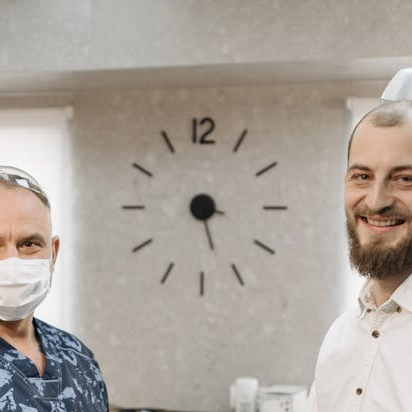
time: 3:27
